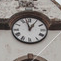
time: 12:57
